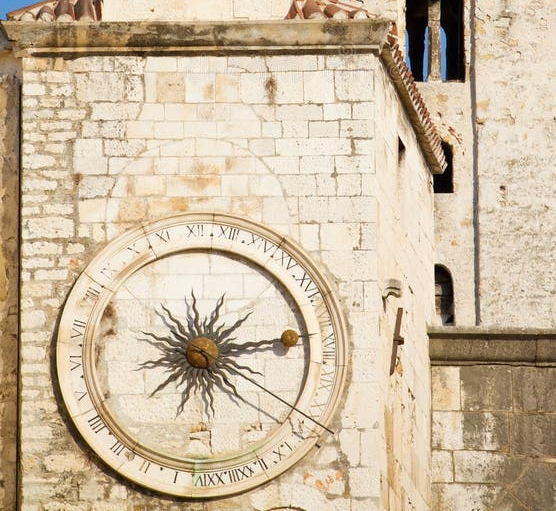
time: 1:13
